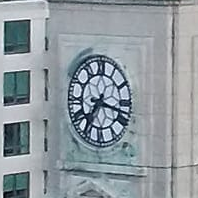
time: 7:17
